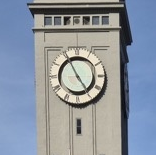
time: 4:55
